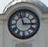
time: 2:56
